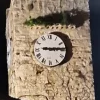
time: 9:14
